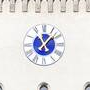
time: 11:07
